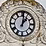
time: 1:01
